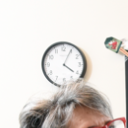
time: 4:04
